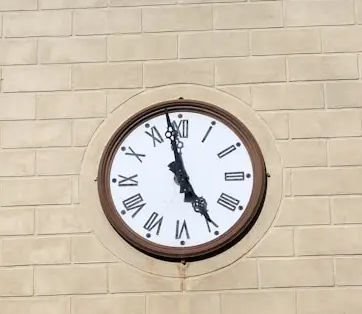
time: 4:58
